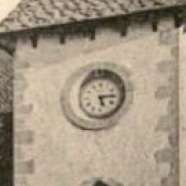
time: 5:14
